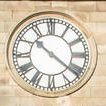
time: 10:21
